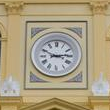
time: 2:49
